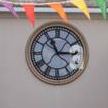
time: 2:55
